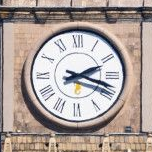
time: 2:18
